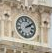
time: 2:09
